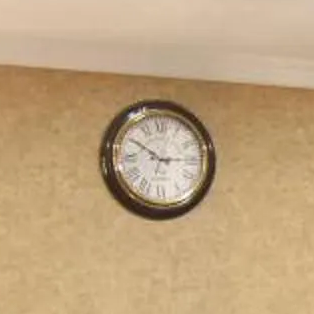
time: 2:50
